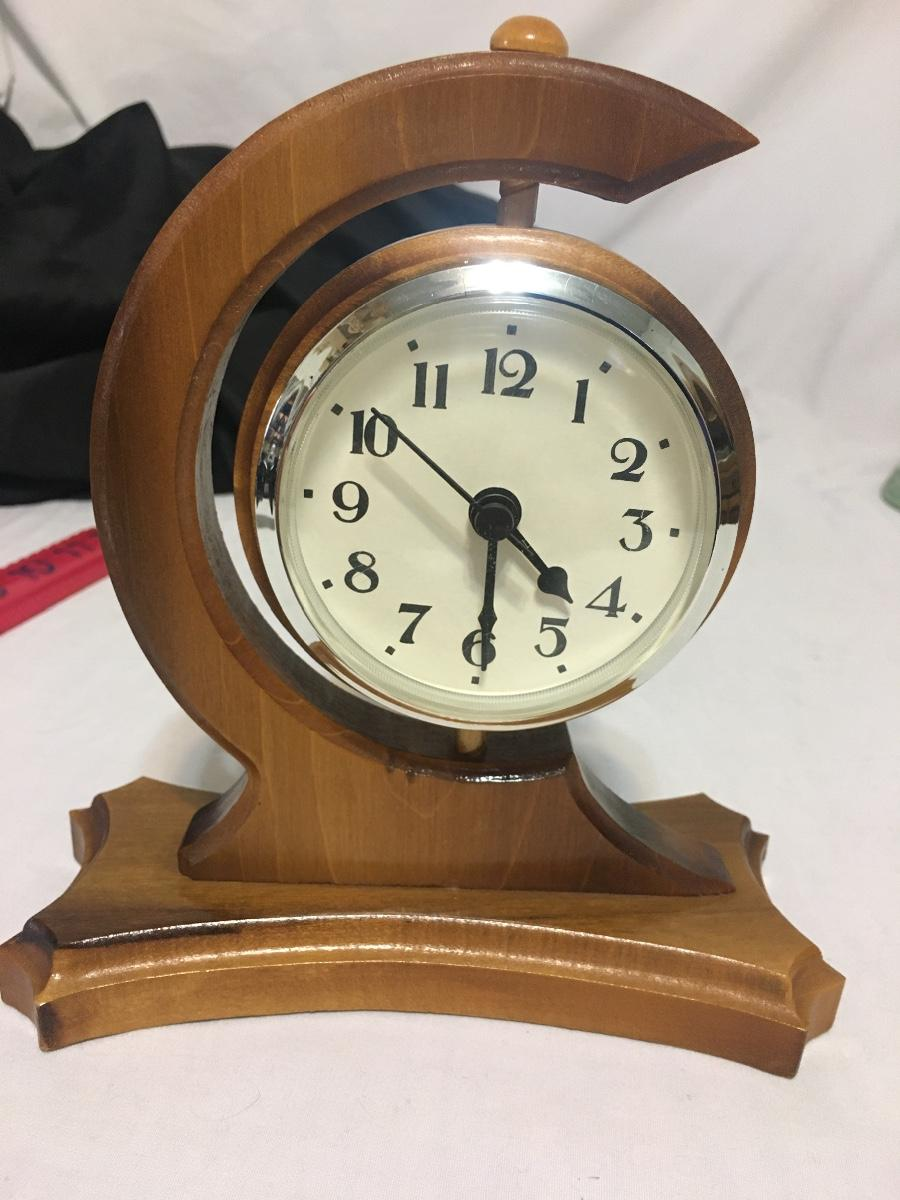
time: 4:29
